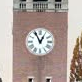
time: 12:55
